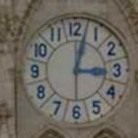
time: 3:02
